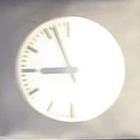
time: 8:56
